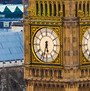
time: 5:33
